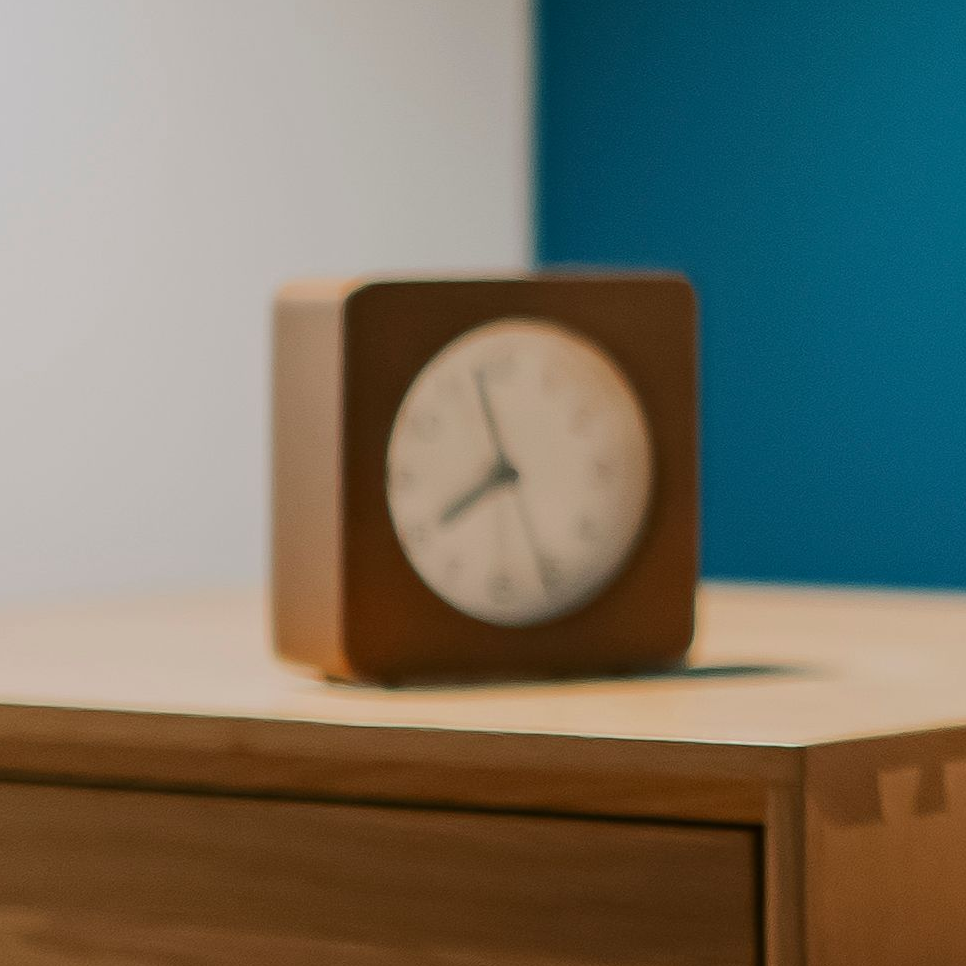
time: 7:57
